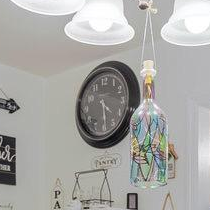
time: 4:29
